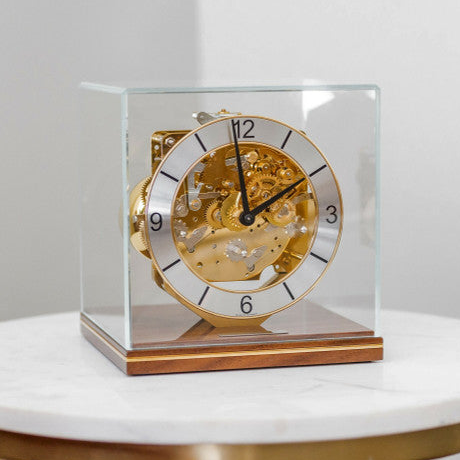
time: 1:59
